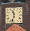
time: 11:32
